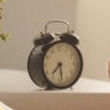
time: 7:28
